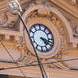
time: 4:17
